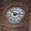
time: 2:52
